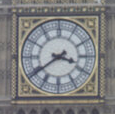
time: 3:39
